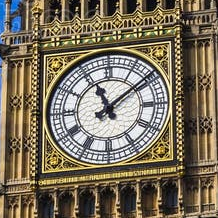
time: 11:08
